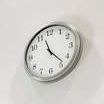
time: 11:23
